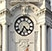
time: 4:34
